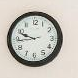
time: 9:44
